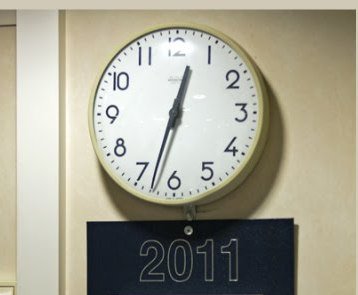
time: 12:32
